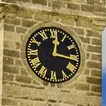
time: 12:16
